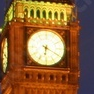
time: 6:20
